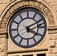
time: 4:10
